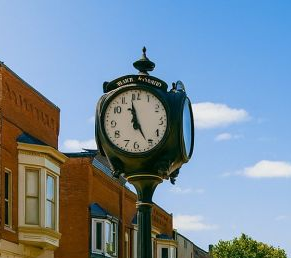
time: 4:59
